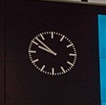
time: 9:52
